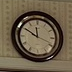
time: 11:50
